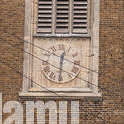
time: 12:30
